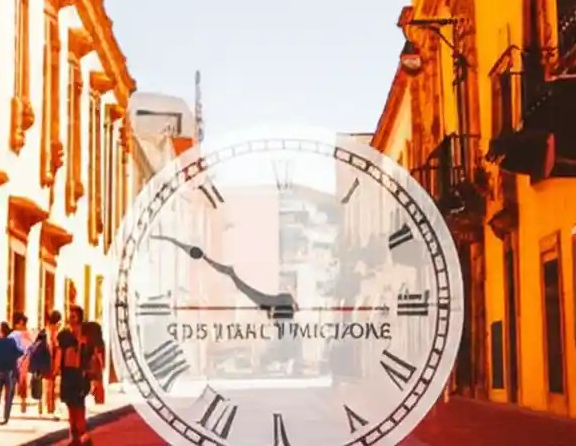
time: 10:15
